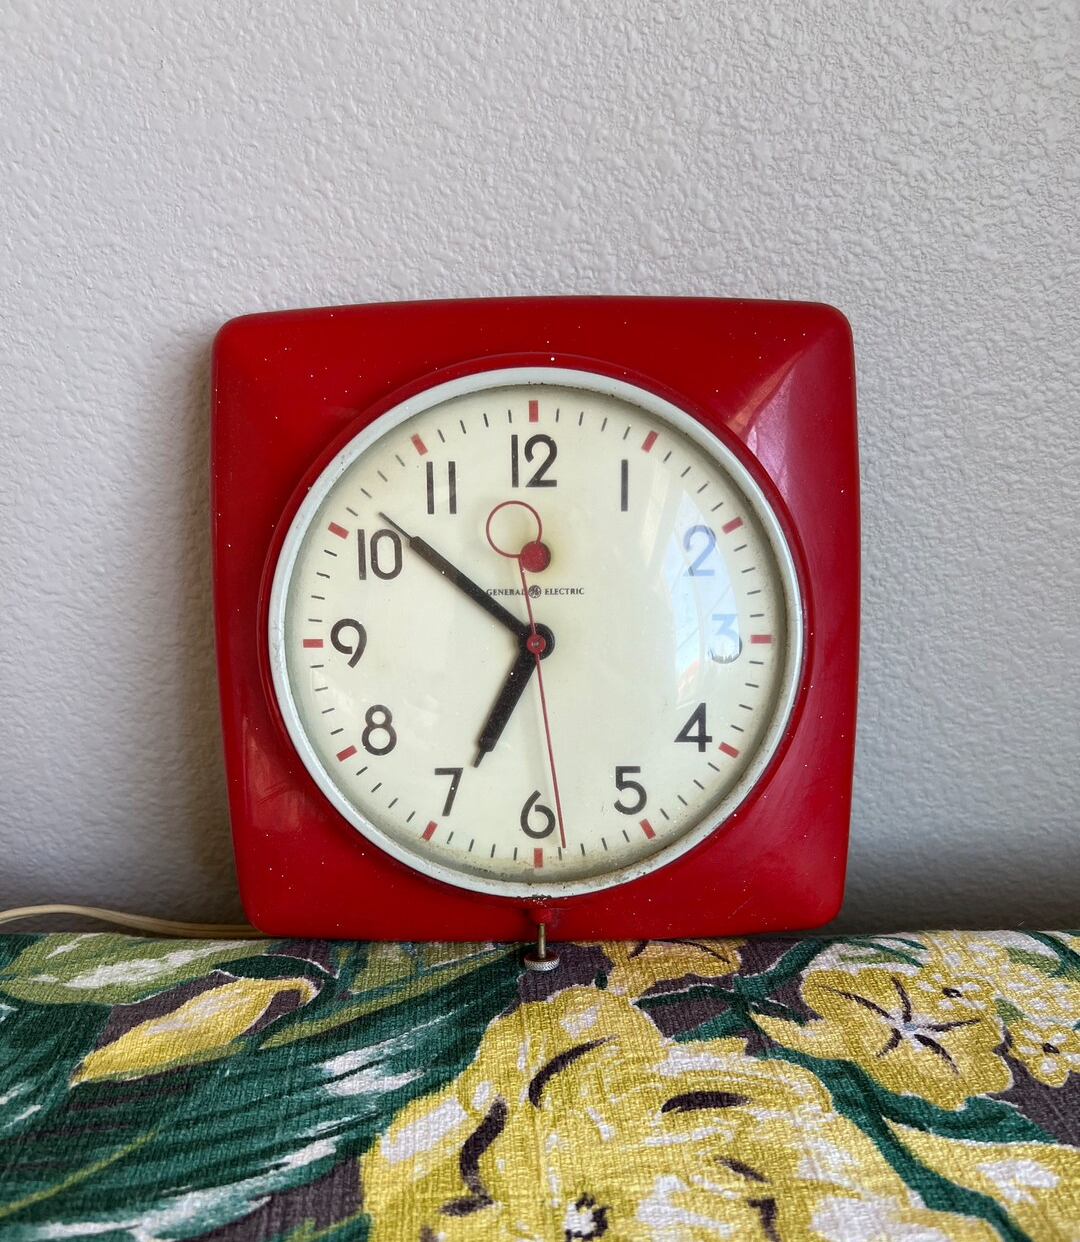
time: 6:51
